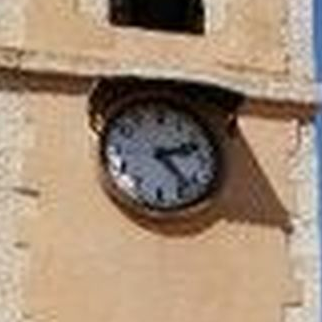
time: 2:22
